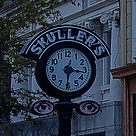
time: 3:30
